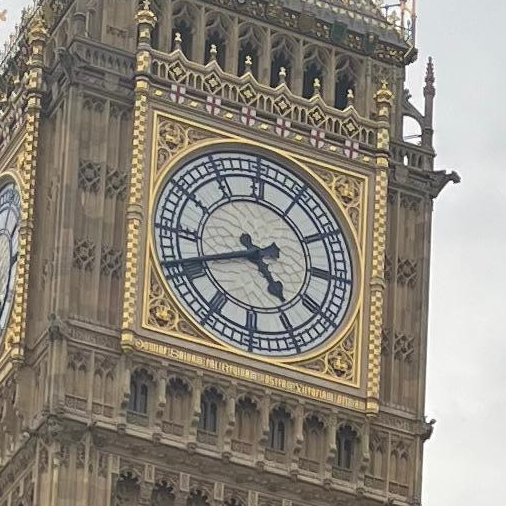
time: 4:41
